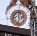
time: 11:32
